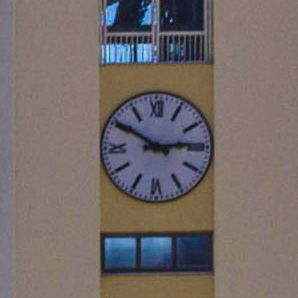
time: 2:50
